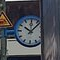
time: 10:07
